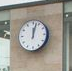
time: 12:02
